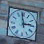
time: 2:58
